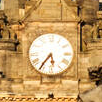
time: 5:36
